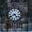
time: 4:40
